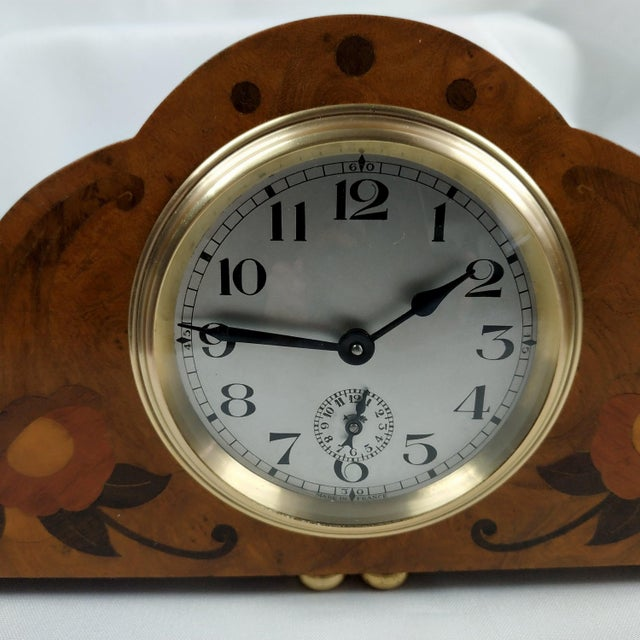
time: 1:46
